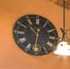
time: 10:32
